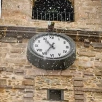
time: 6:55
